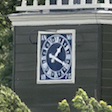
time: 1:18
